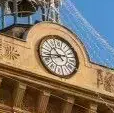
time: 10:42
